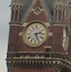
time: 2:26
